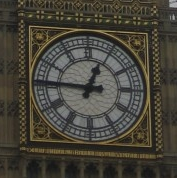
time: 12:46
